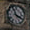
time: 3:56
